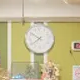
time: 7:50
